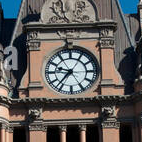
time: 9:36
